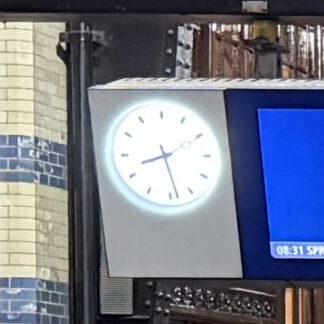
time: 8:28
